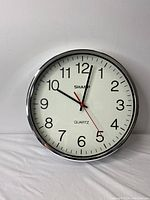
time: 10:02
